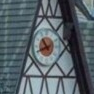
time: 10:41
